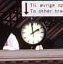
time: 1:59
